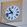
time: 10:42
